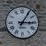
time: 3:05
